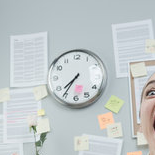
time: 7:35
